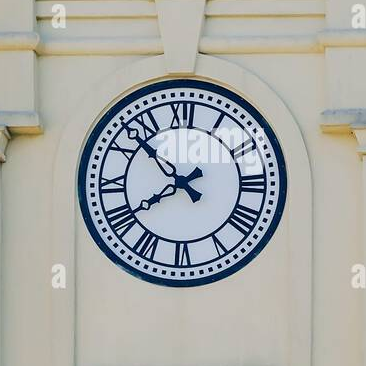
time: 7:52
